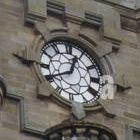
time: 12:40
